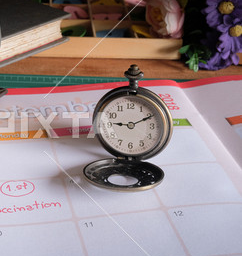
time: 9:10
